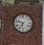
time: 6:47
